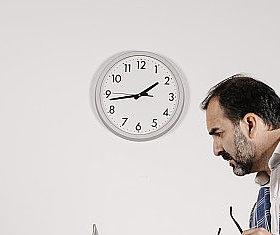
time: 1:43
